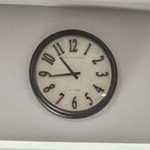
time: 10:43
